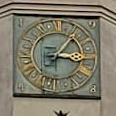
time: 3:06
